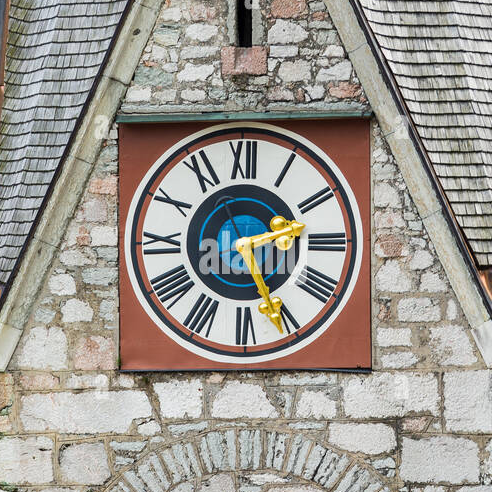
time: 2:26
